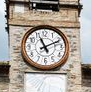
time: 11:10
